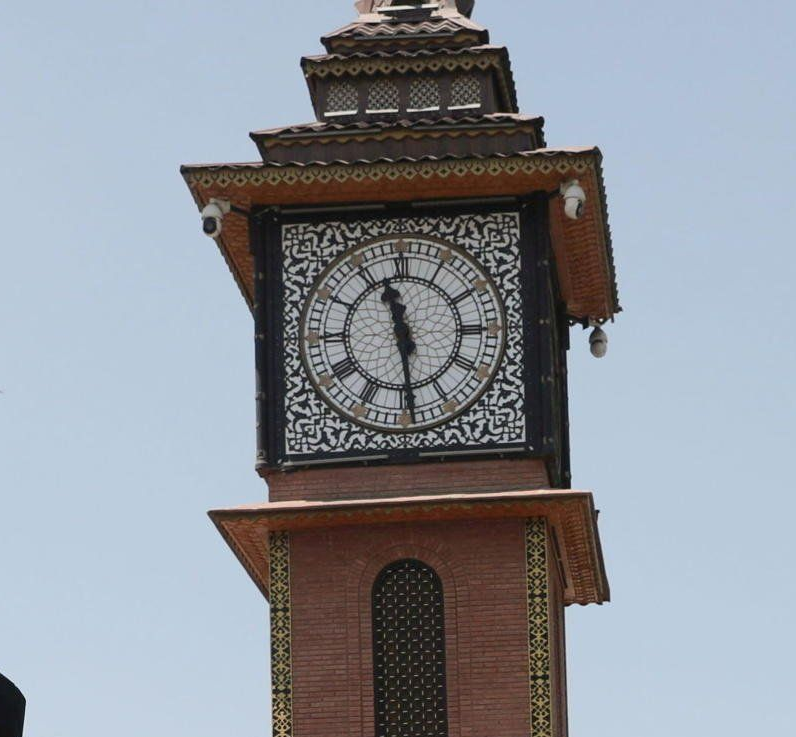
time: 11:29
